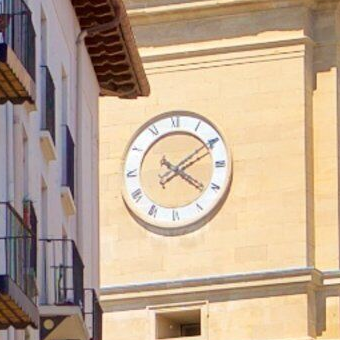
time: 4:09
